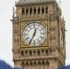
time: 12:34
